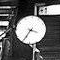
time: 3:34
